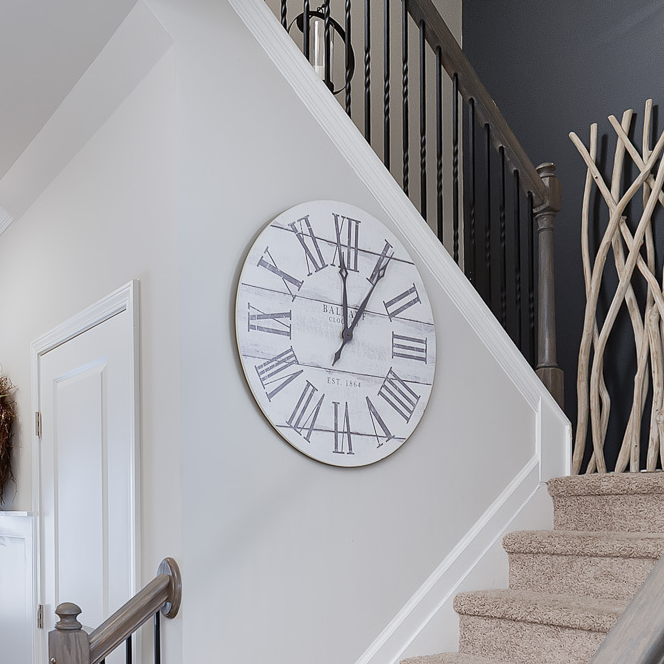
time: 12:06
